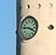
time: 3:46
